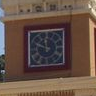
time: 11:48
